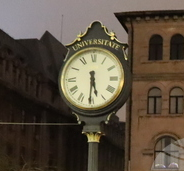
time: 5:30
